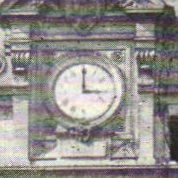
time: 3:00
